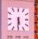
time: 5:30
